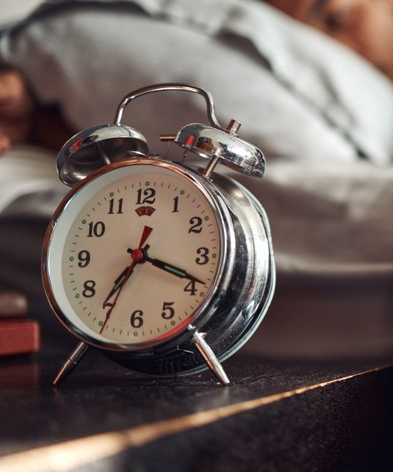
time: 7:18
